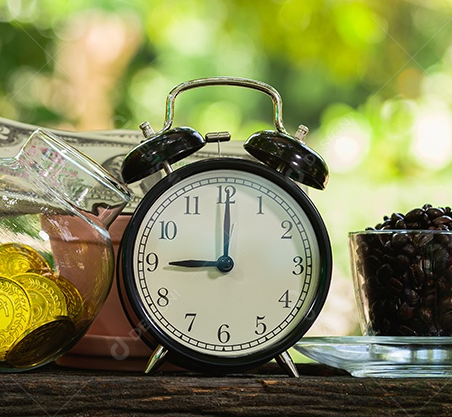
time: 9:00
